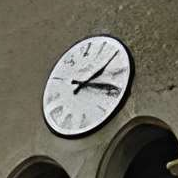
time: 2:18
